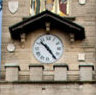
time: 10:24
